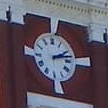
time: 2:12
